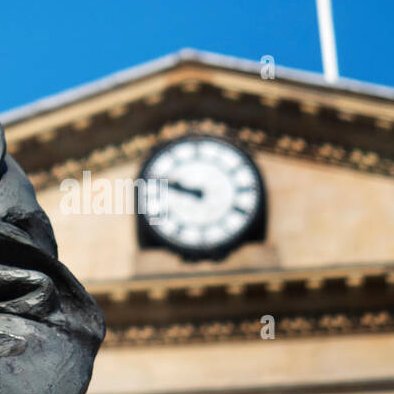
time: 9:48
